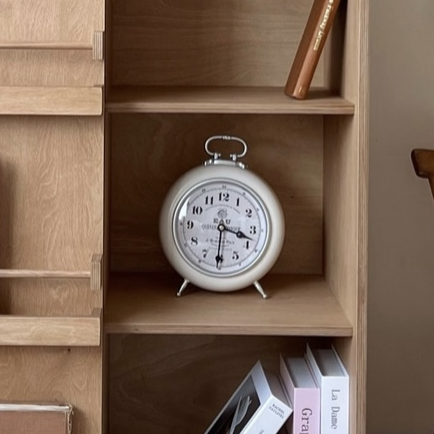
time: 3:30
